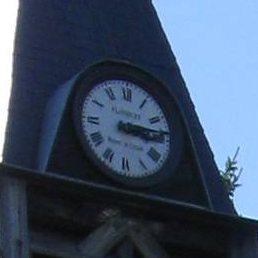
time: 3:13
